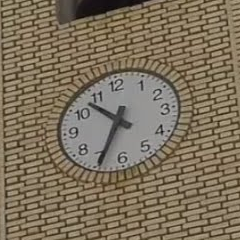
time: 10:34
